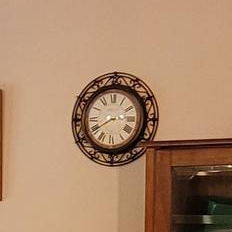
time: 2:40
